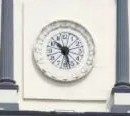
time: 10:27
